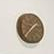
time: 1:36
